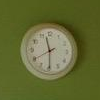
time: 11:29
